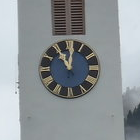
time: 11:01
